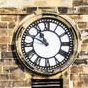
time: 10:49
